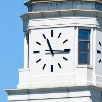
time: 11:15
